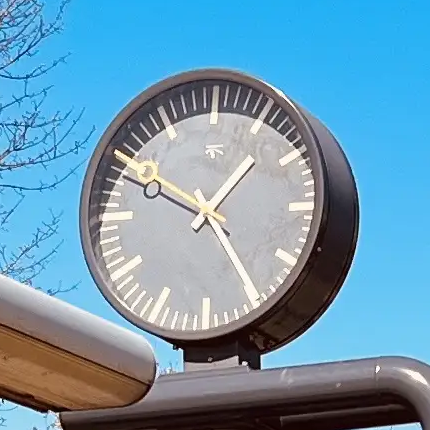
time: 1:24
